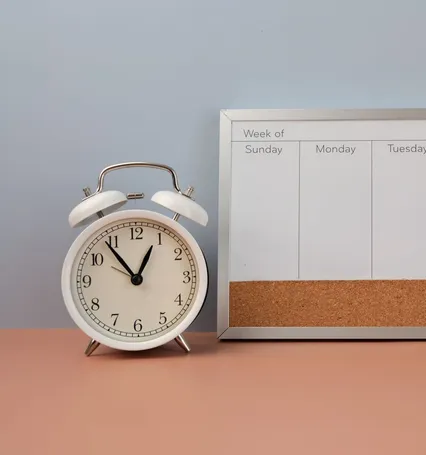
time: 12:53
